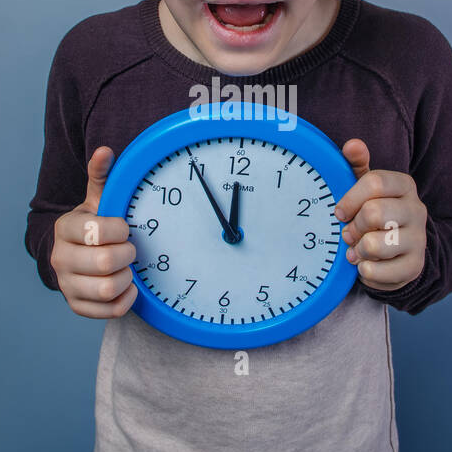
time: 11:54
